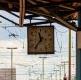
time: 11:36
